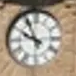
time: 9:55
